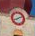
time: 8:11
